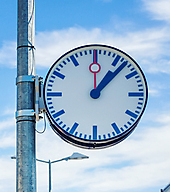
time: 1:07
